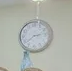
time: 2:38
